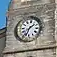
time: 1:33
